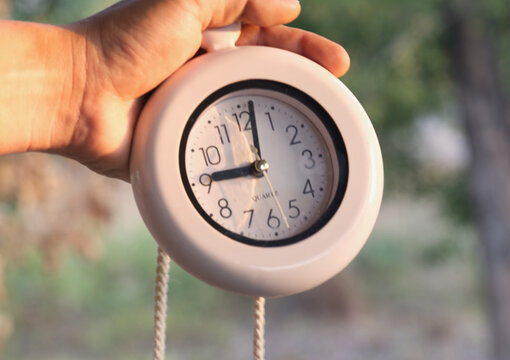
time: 9:01
